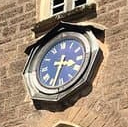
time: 3:32
